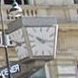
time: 10:15
